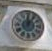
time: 12:05
